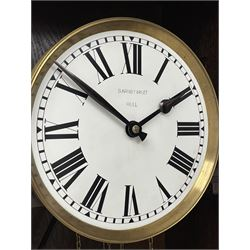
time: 1:51
